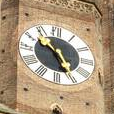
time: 10:25
